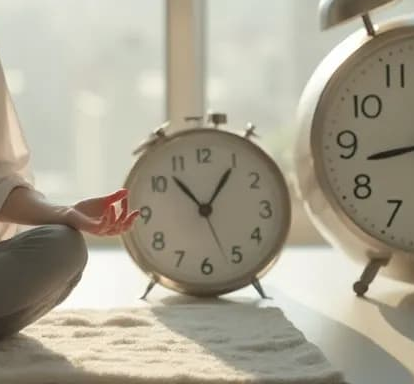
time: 12:52
